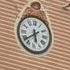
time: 5:38
